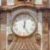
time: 5:01
